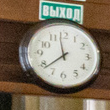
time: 11:38
